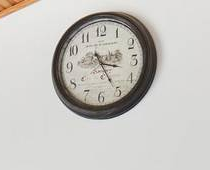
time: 3:25
